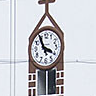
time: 3:55
